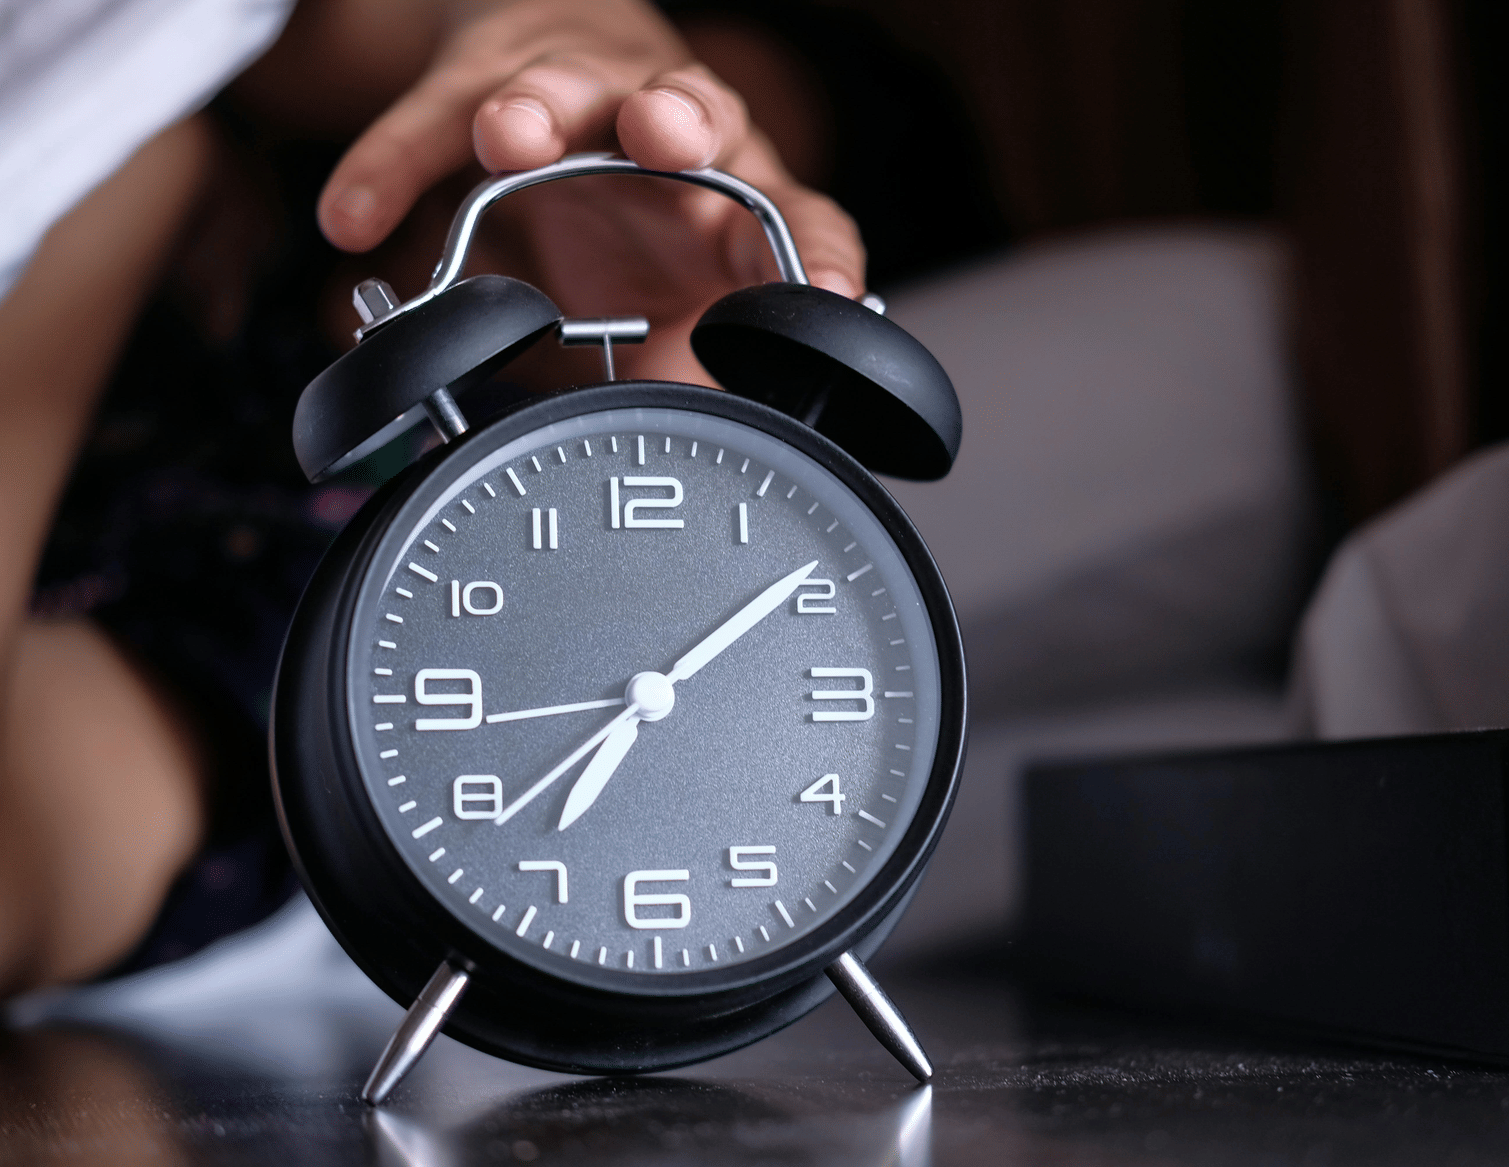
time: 7:09
